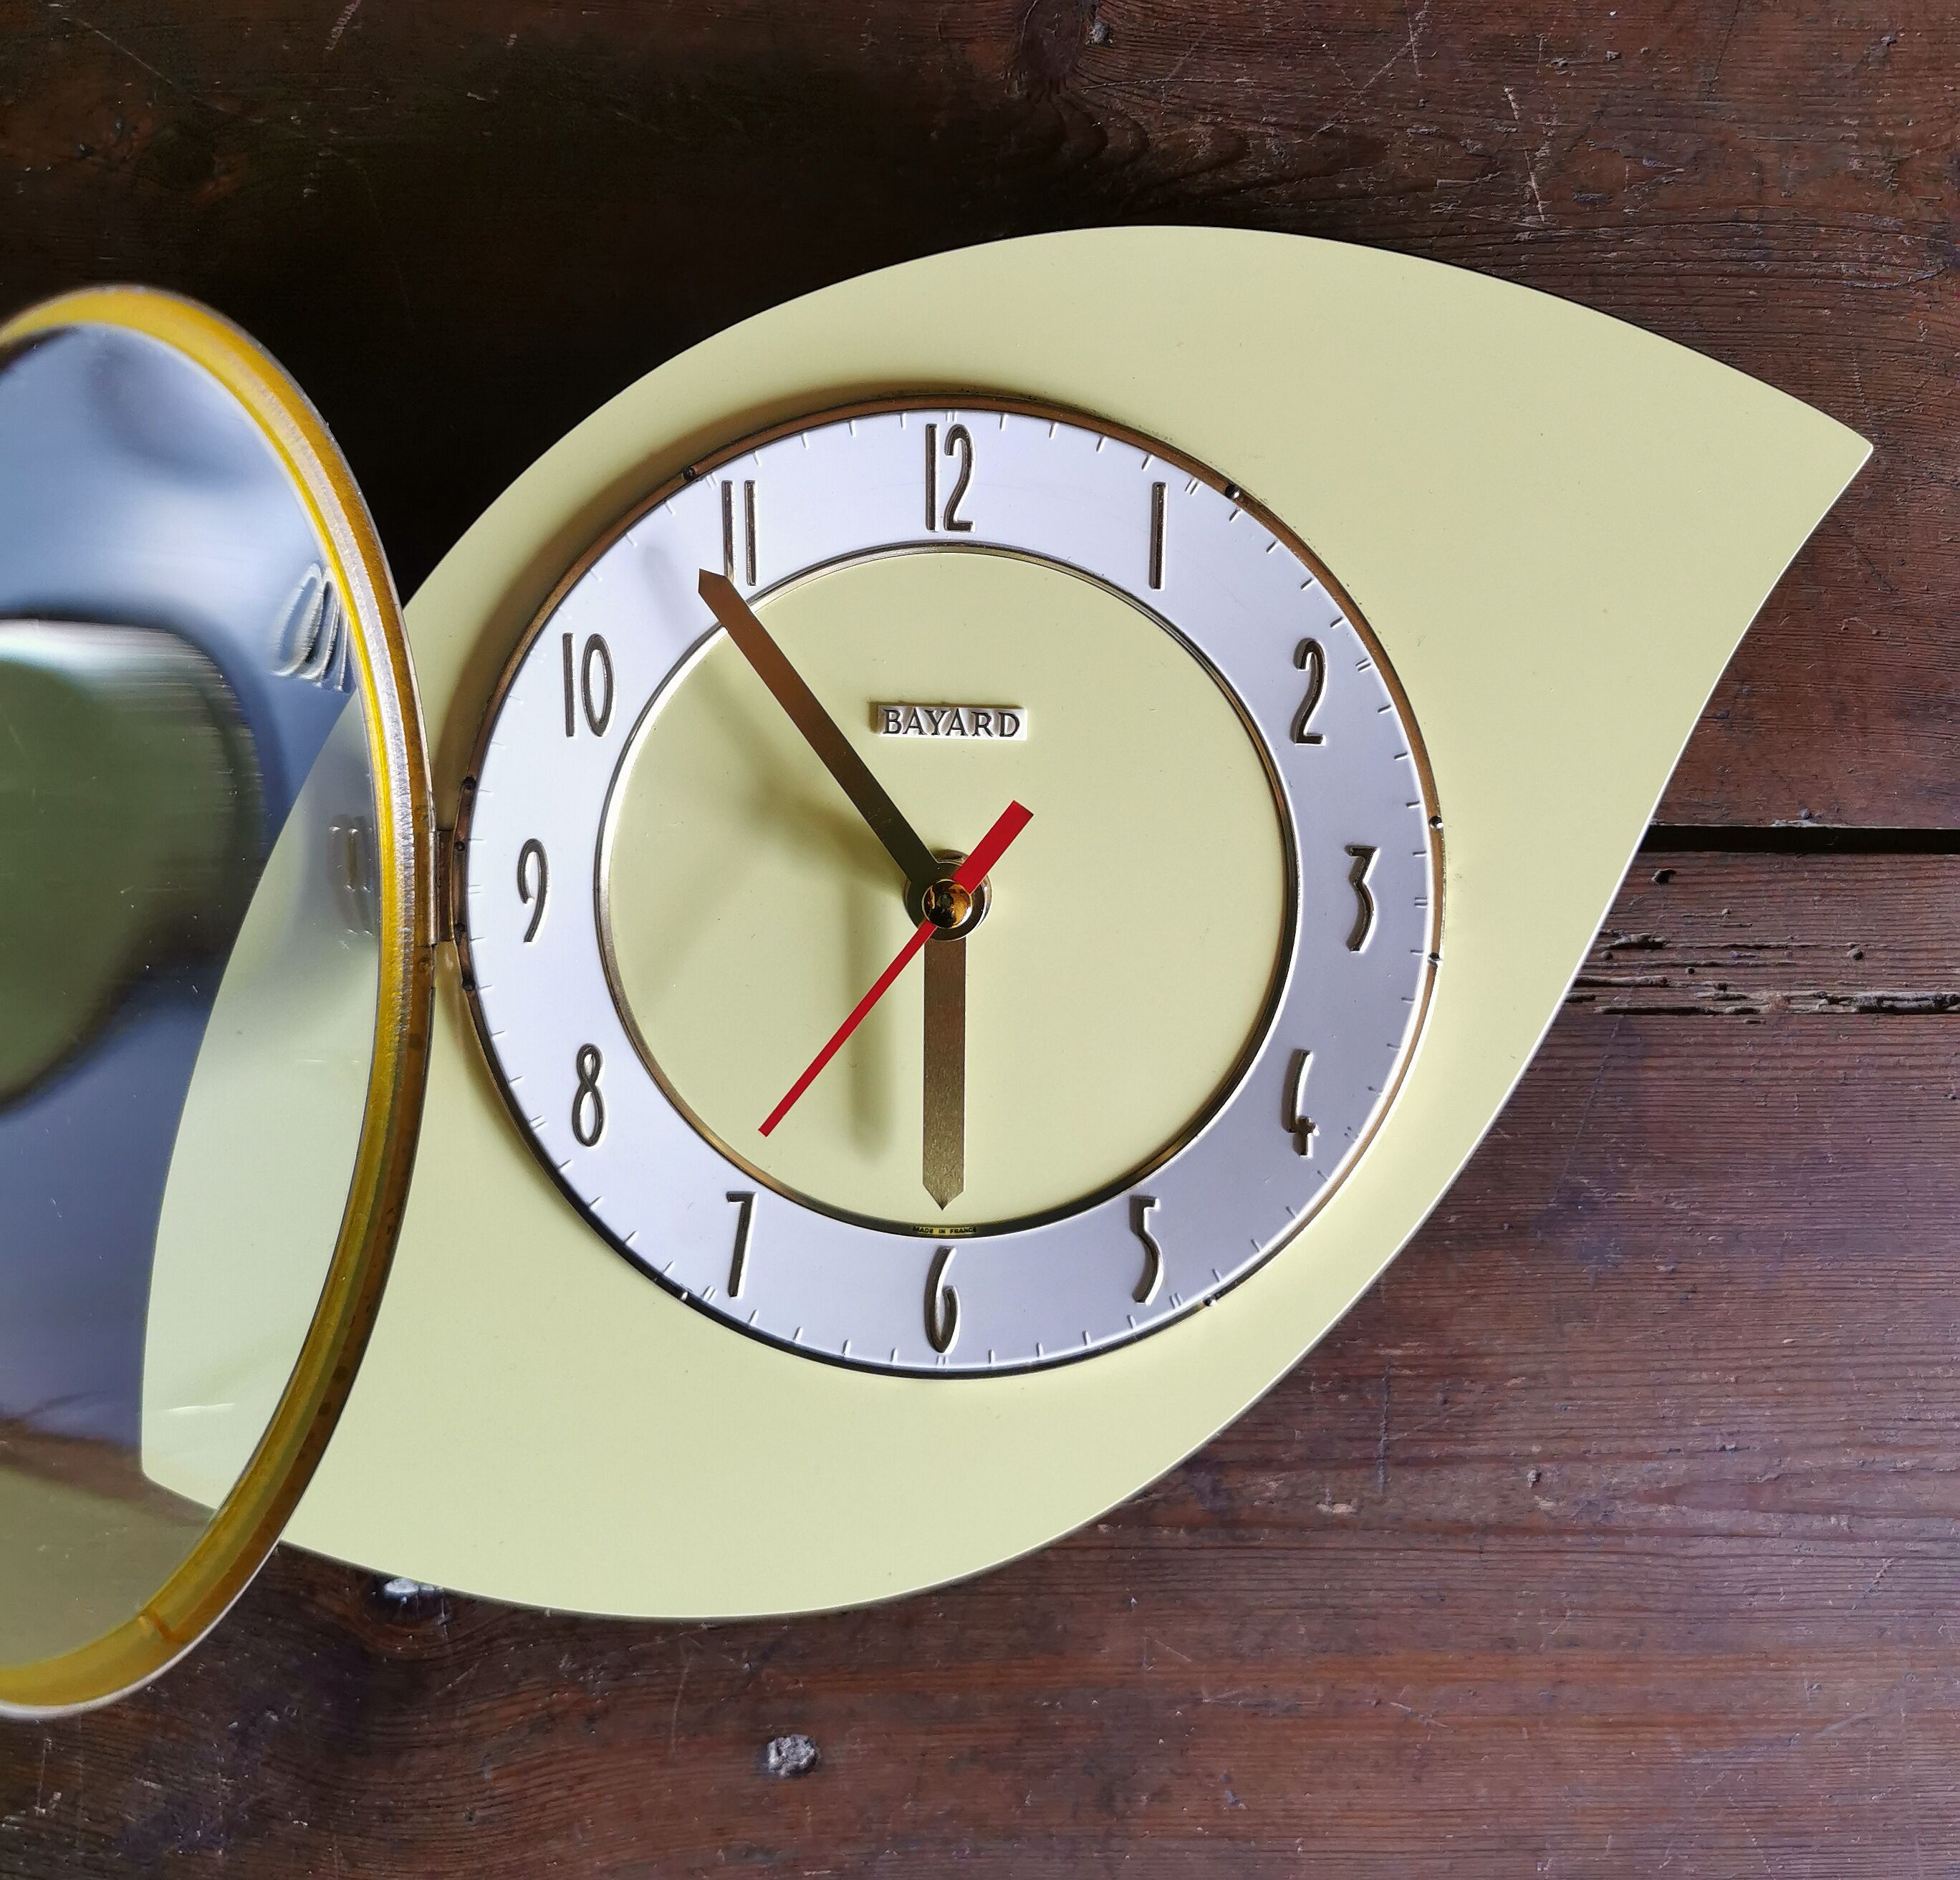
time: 5:53
